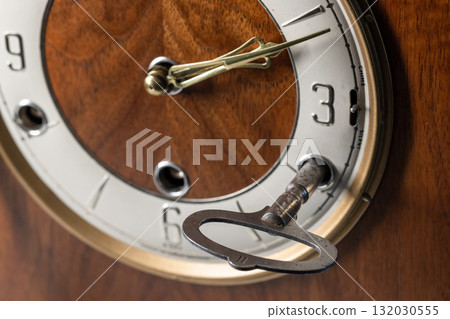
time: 2:11
